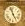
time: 4:57
